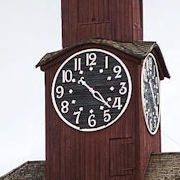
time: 10:22
